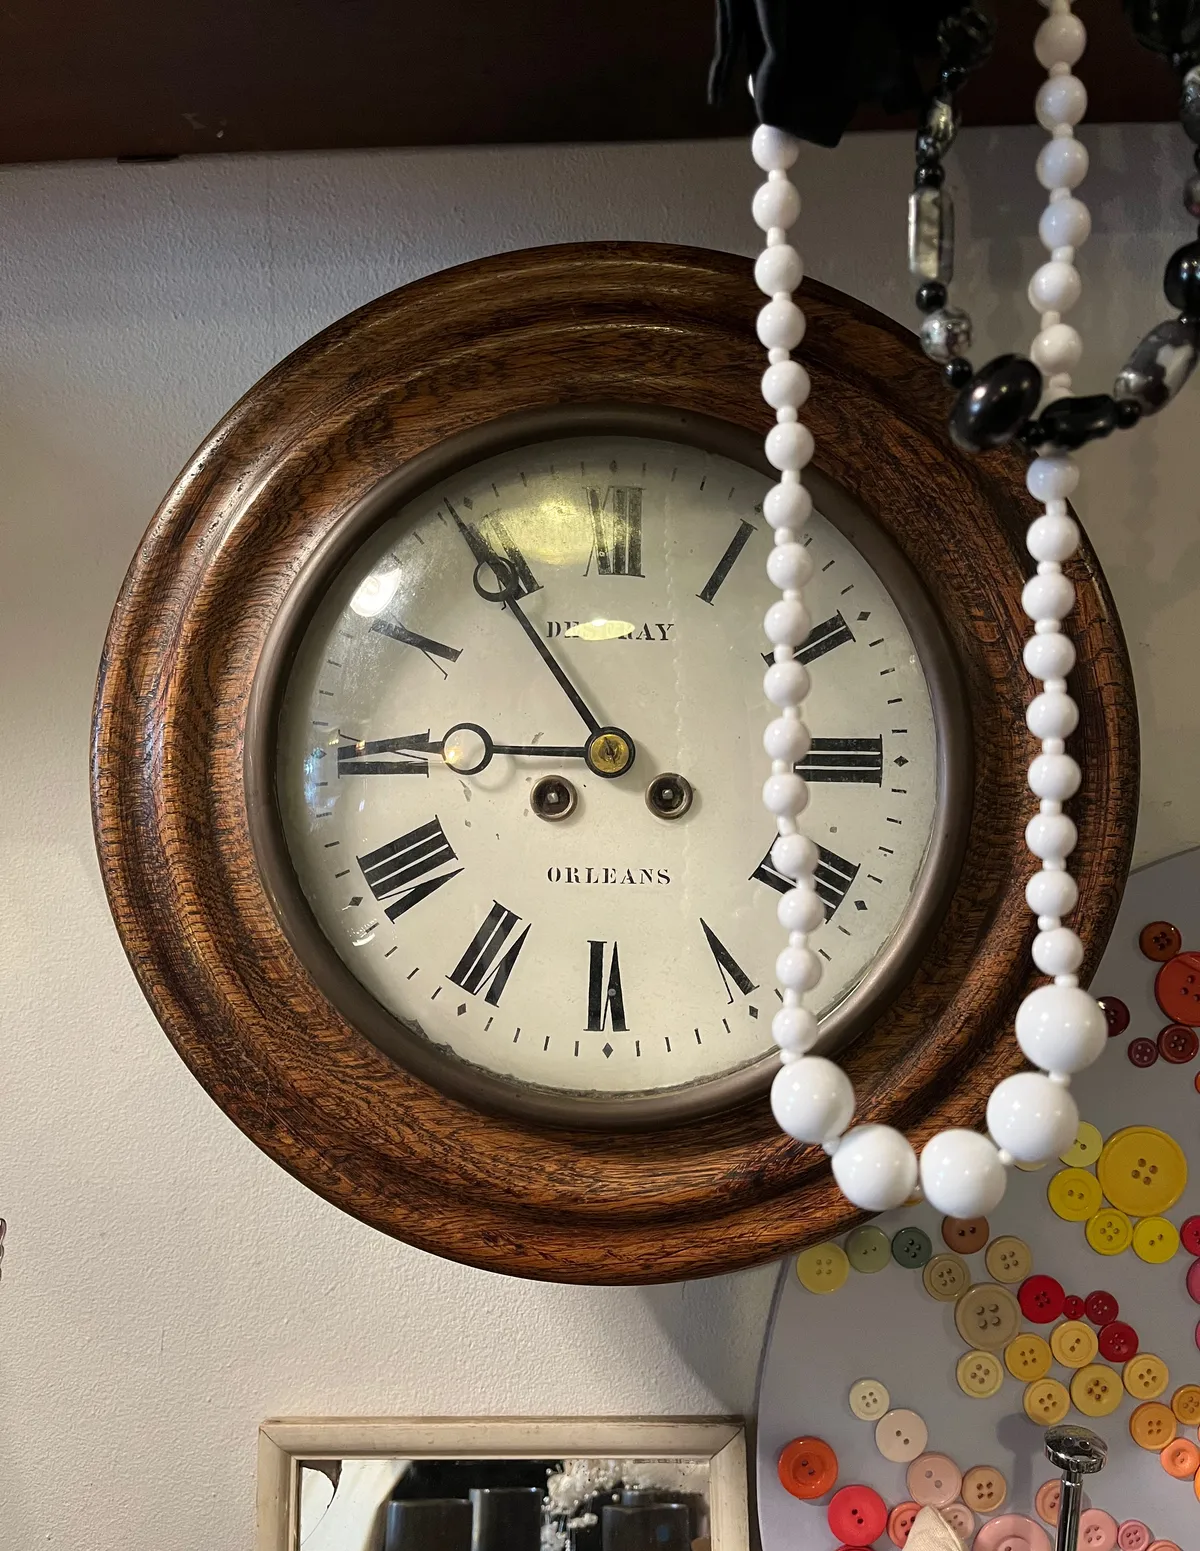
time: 8:54
